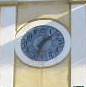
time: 1:33
